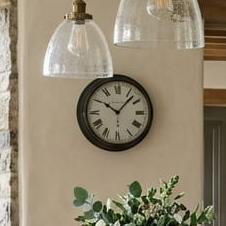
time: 10:07
